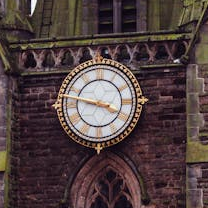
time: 3:46
